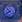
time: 7:52
